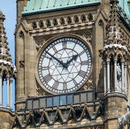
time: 1:51
